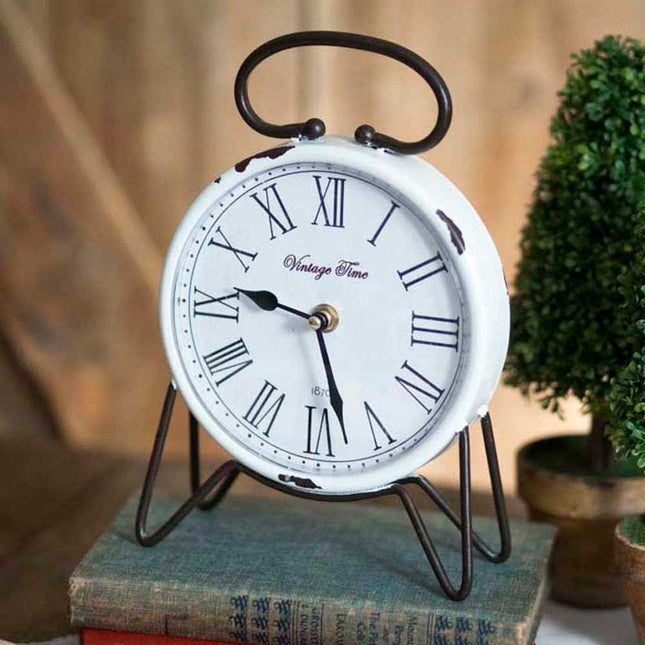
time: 9:27
